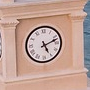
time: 5:11
